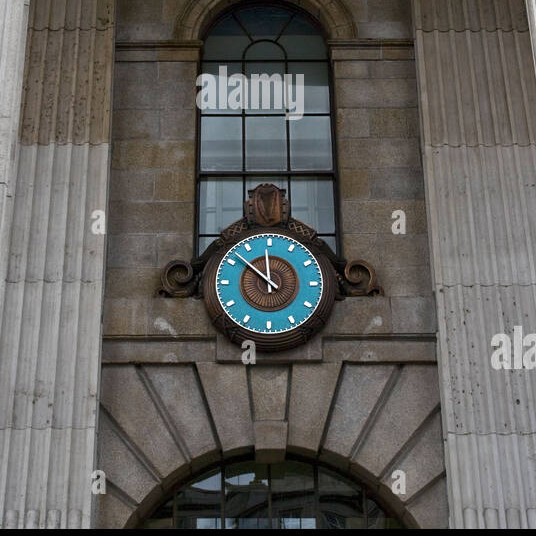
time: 11:51
